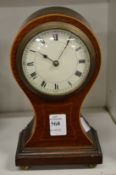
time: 10:05
